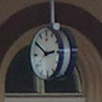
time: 2:50
